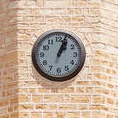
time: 1:03
